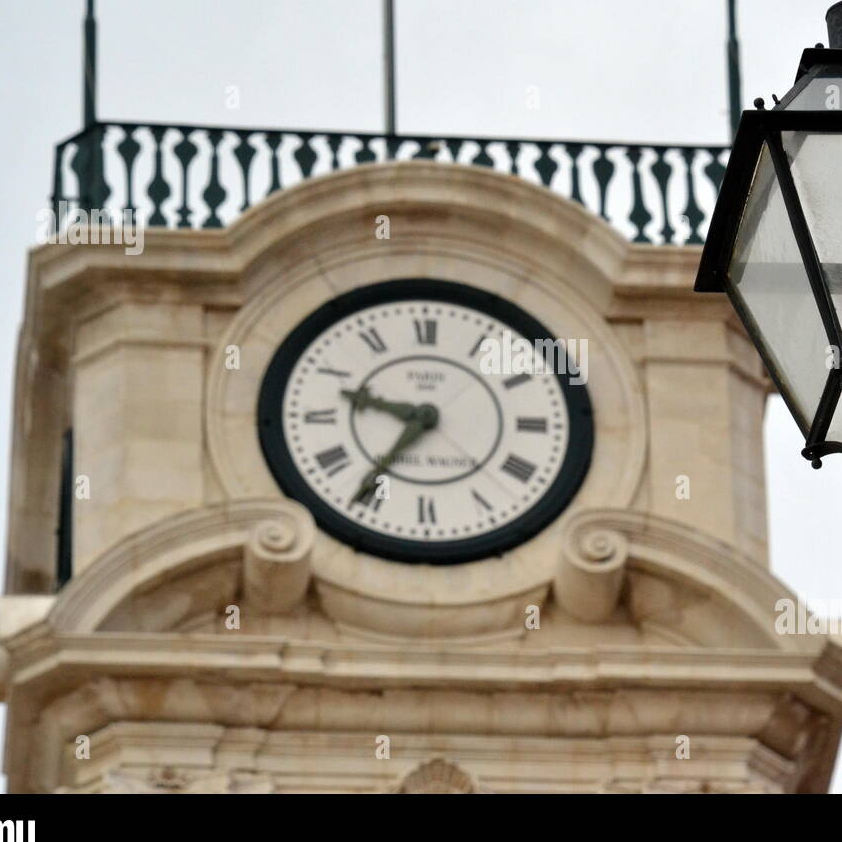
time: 9:35
